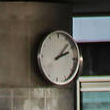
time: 2:07
